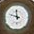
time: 11:48
